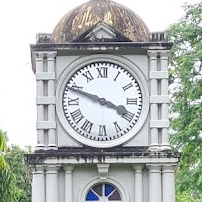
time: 3:48
